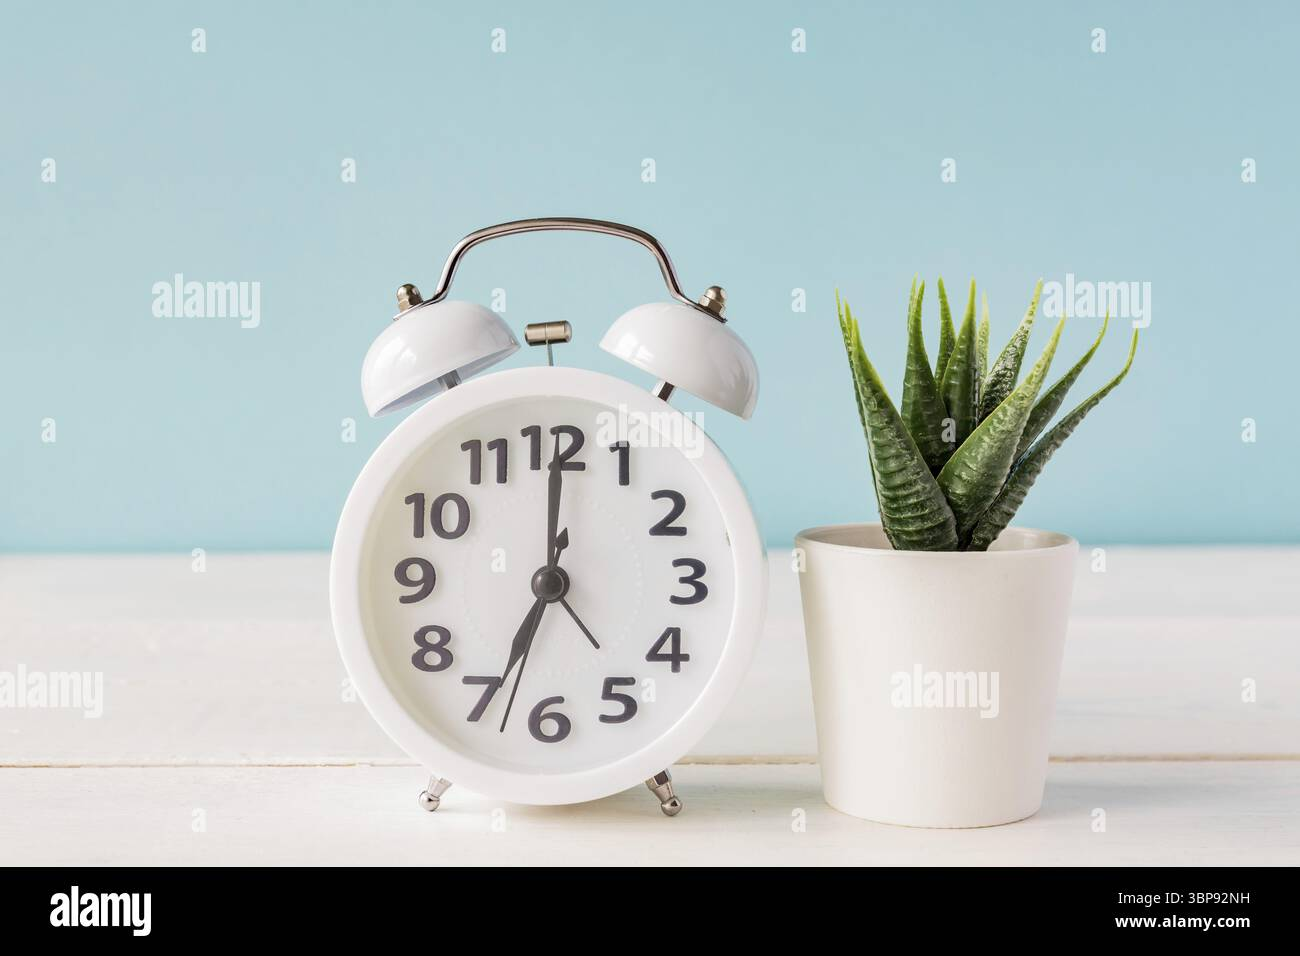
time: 7:00
